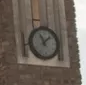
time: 11:07
